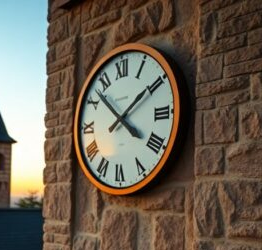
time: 1:52
